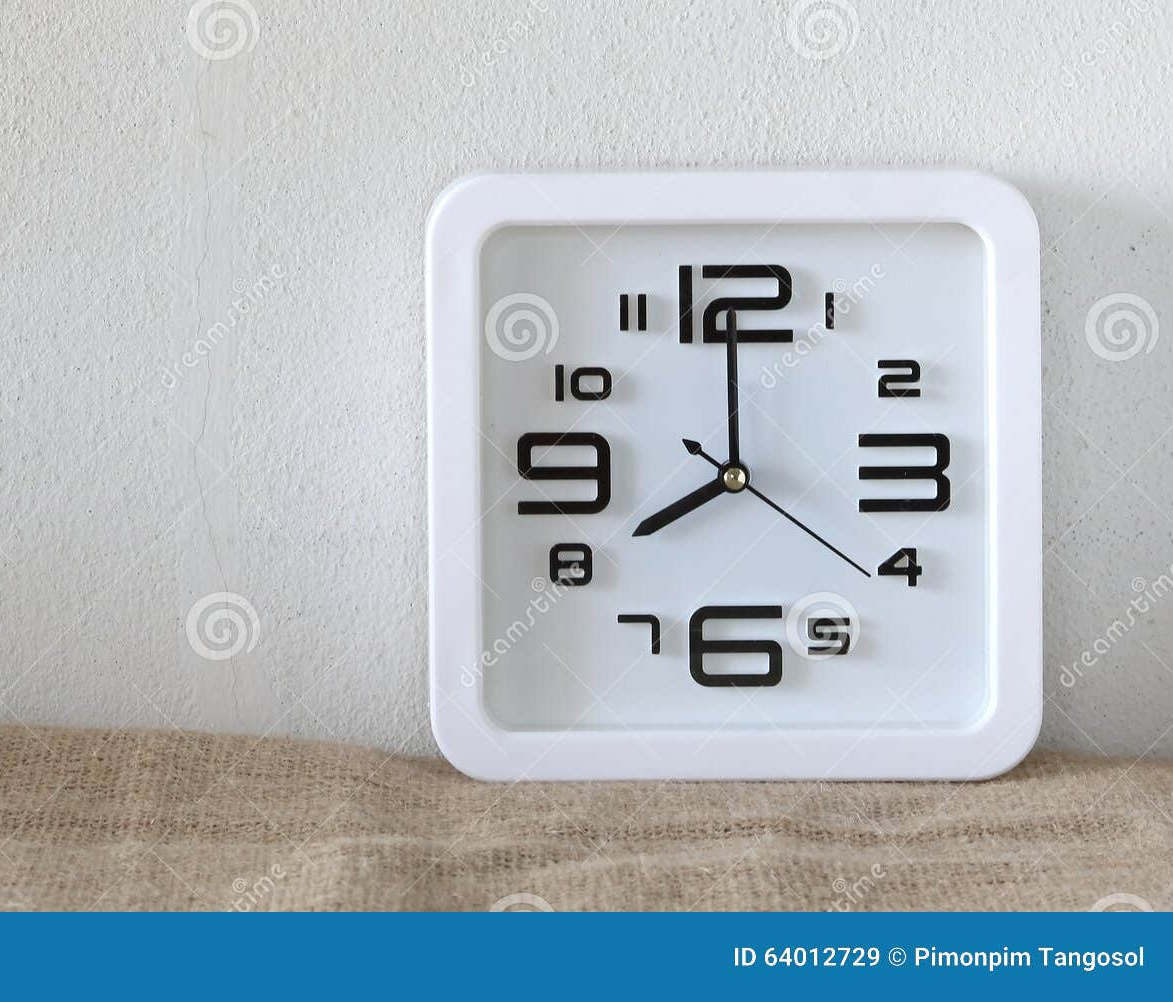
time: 8:00
